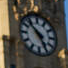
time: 4:52
